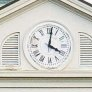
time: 4:01
